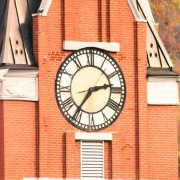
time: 2:36
